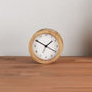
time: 1:49
